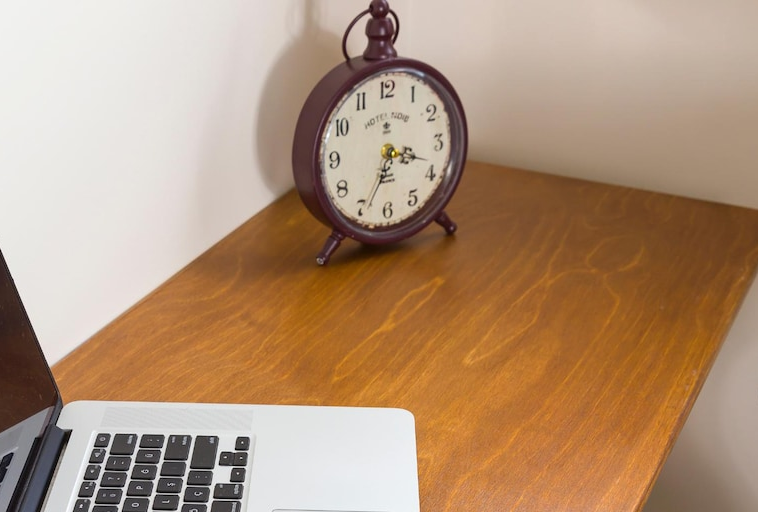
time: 3:33
